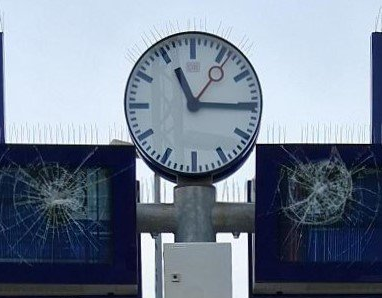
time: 11:15
